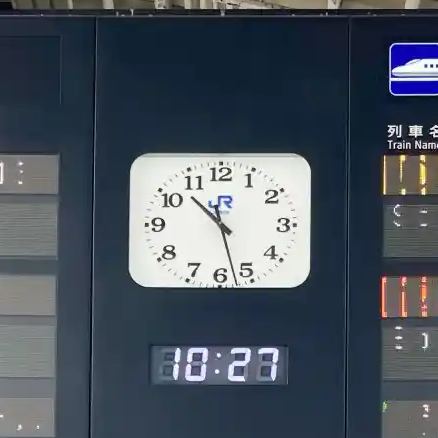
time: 10:27
